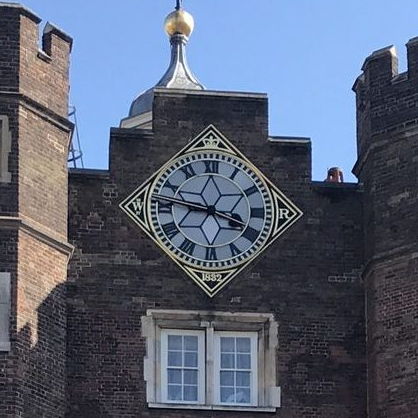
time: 3:46
